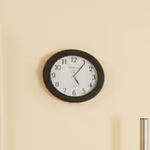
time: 5:05
